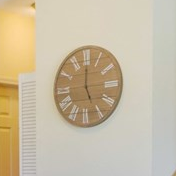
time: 5:00
